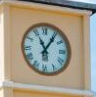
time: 11:05
